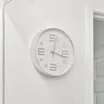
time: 12:17
